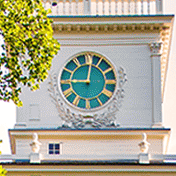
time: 9:01
